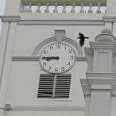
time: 8:45
